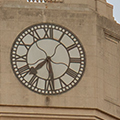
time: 7:28
